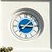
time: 3:08
